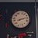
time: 8:12
